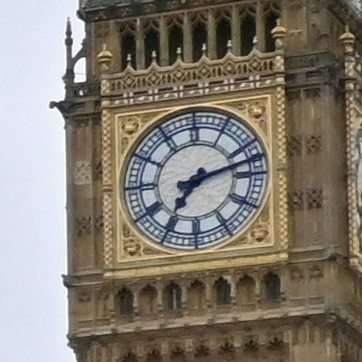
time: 7:12
